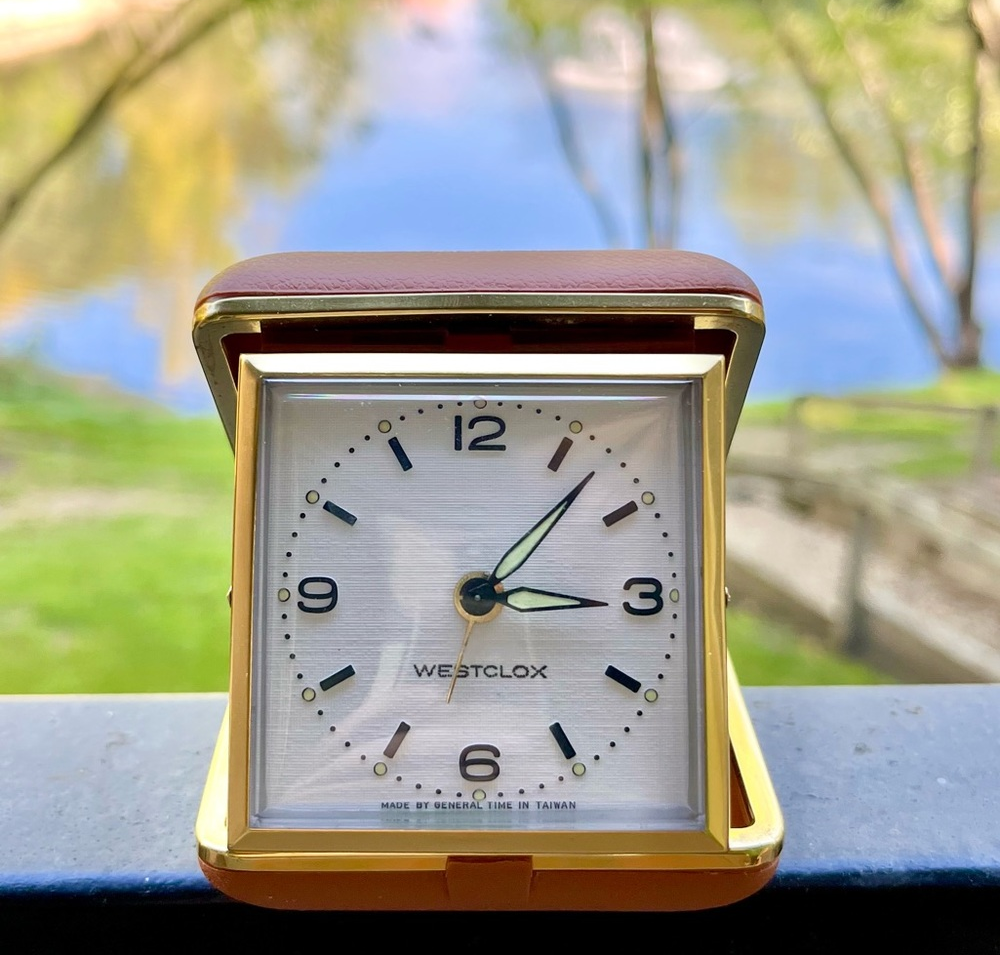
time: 3:07
